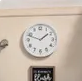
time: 1:48
